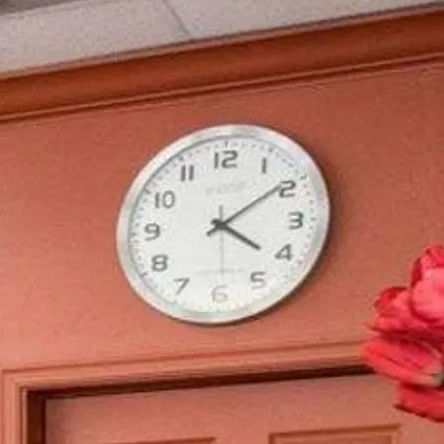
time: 4:09
